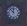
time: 11:52
